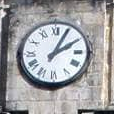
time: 2:04
